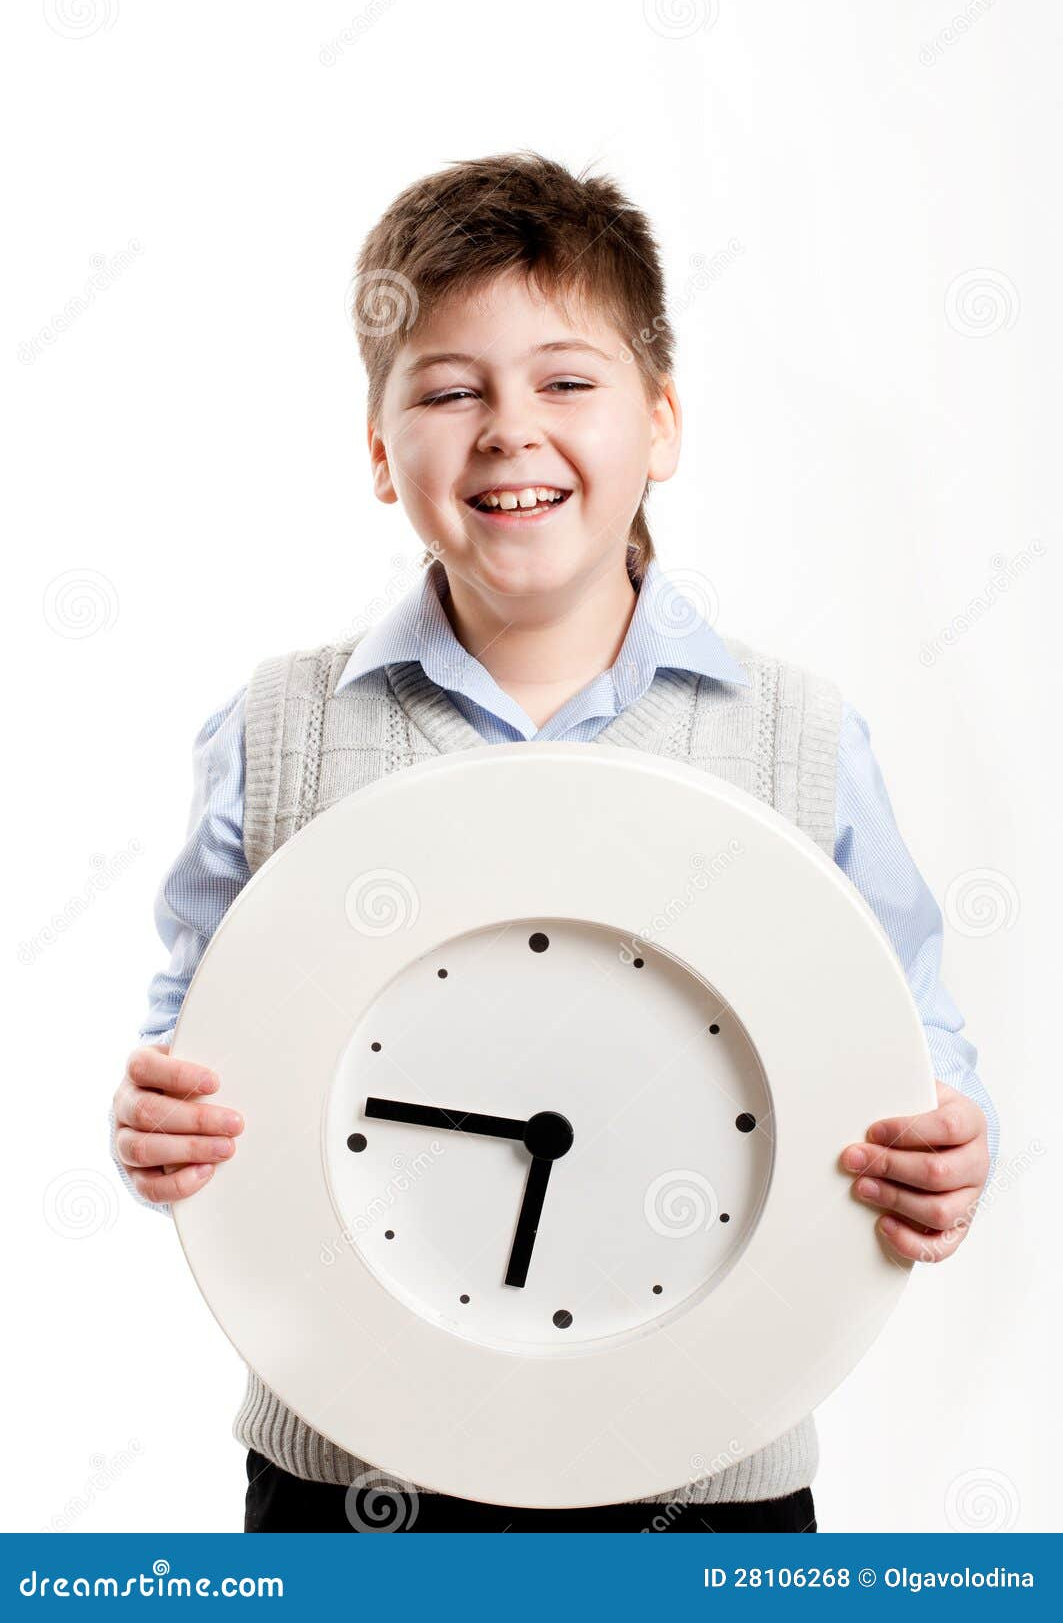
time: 6:46
